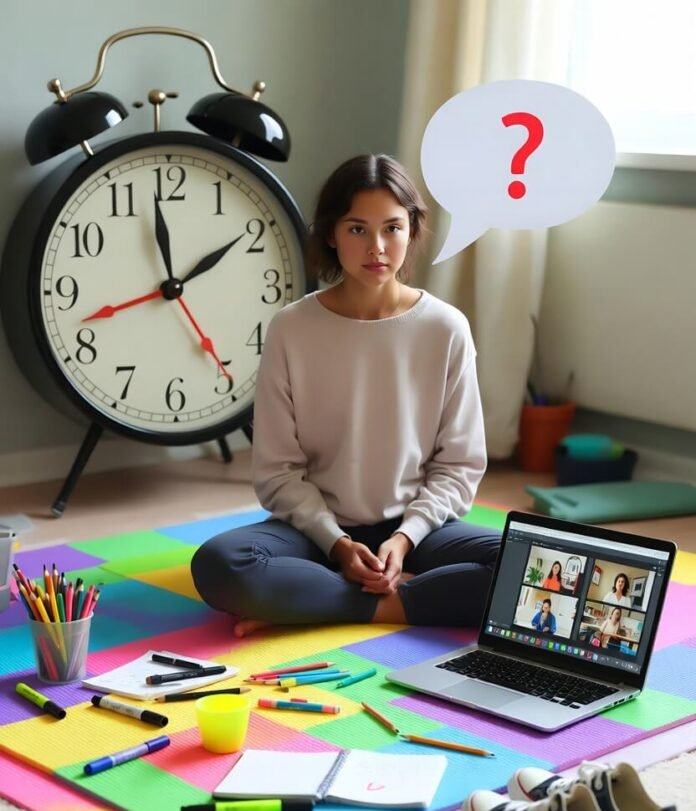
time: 1:58
